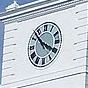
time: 3:52
